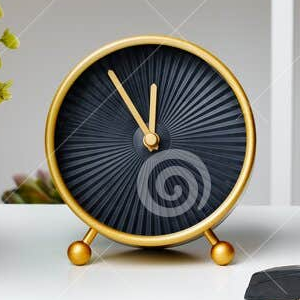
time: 11:54
